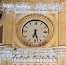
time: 6:27
